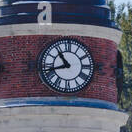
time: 10:42
